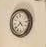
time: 4:38
